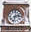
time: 2:32
